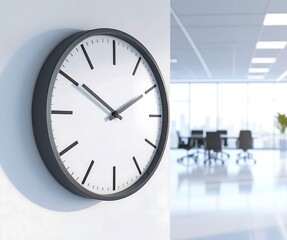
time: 1:50
